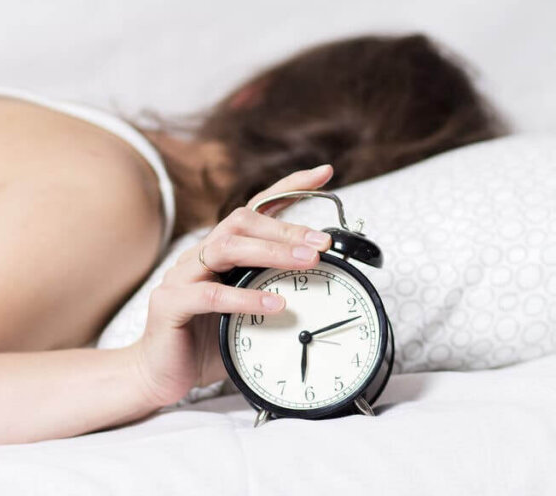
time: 6:12
